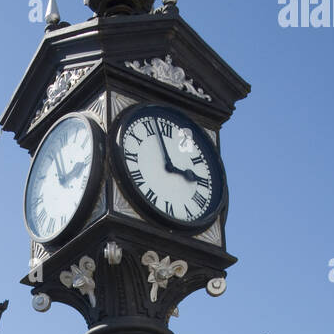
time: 2:57
